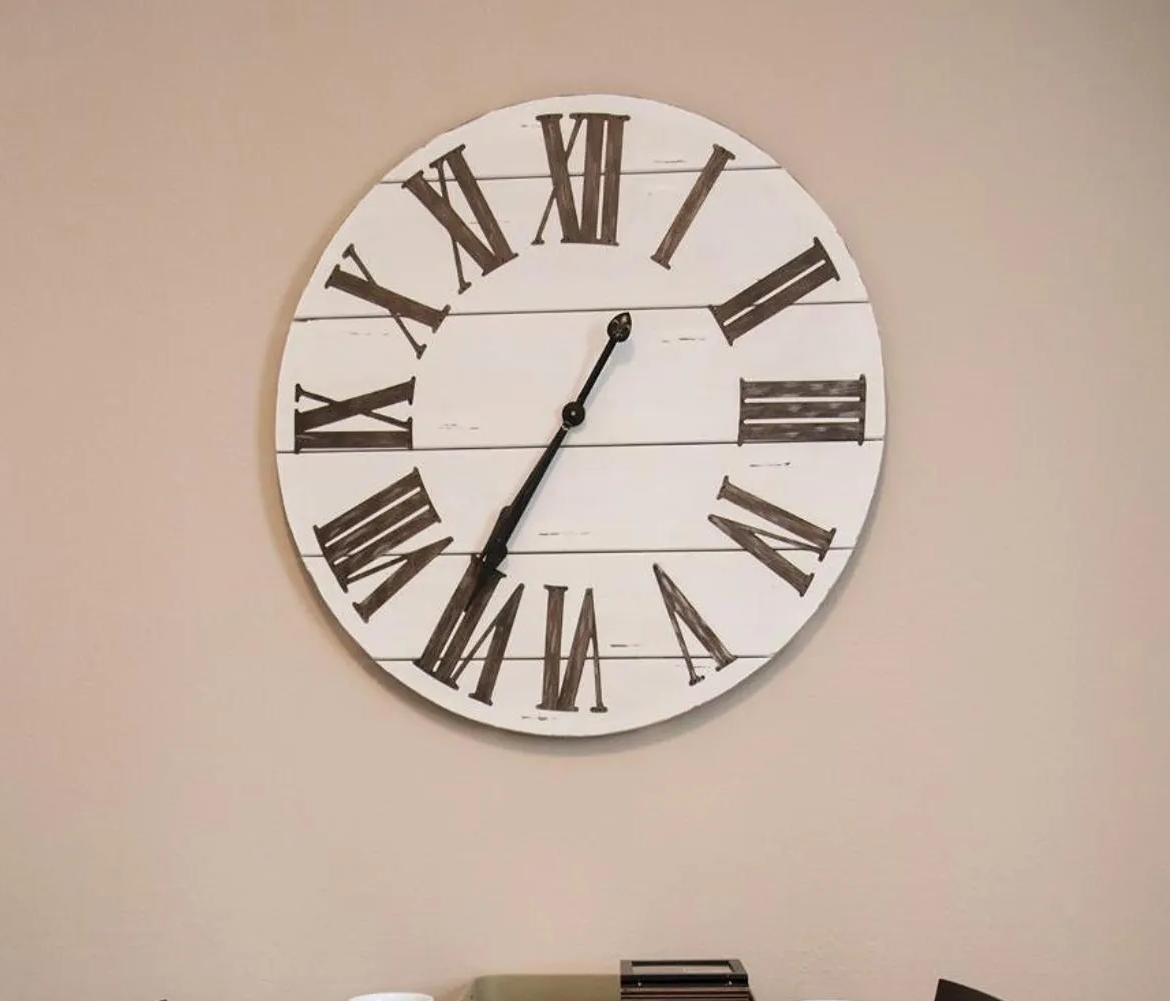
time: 12:35
